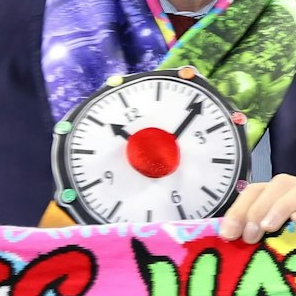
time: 10:06
